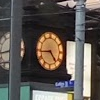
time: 4:44
